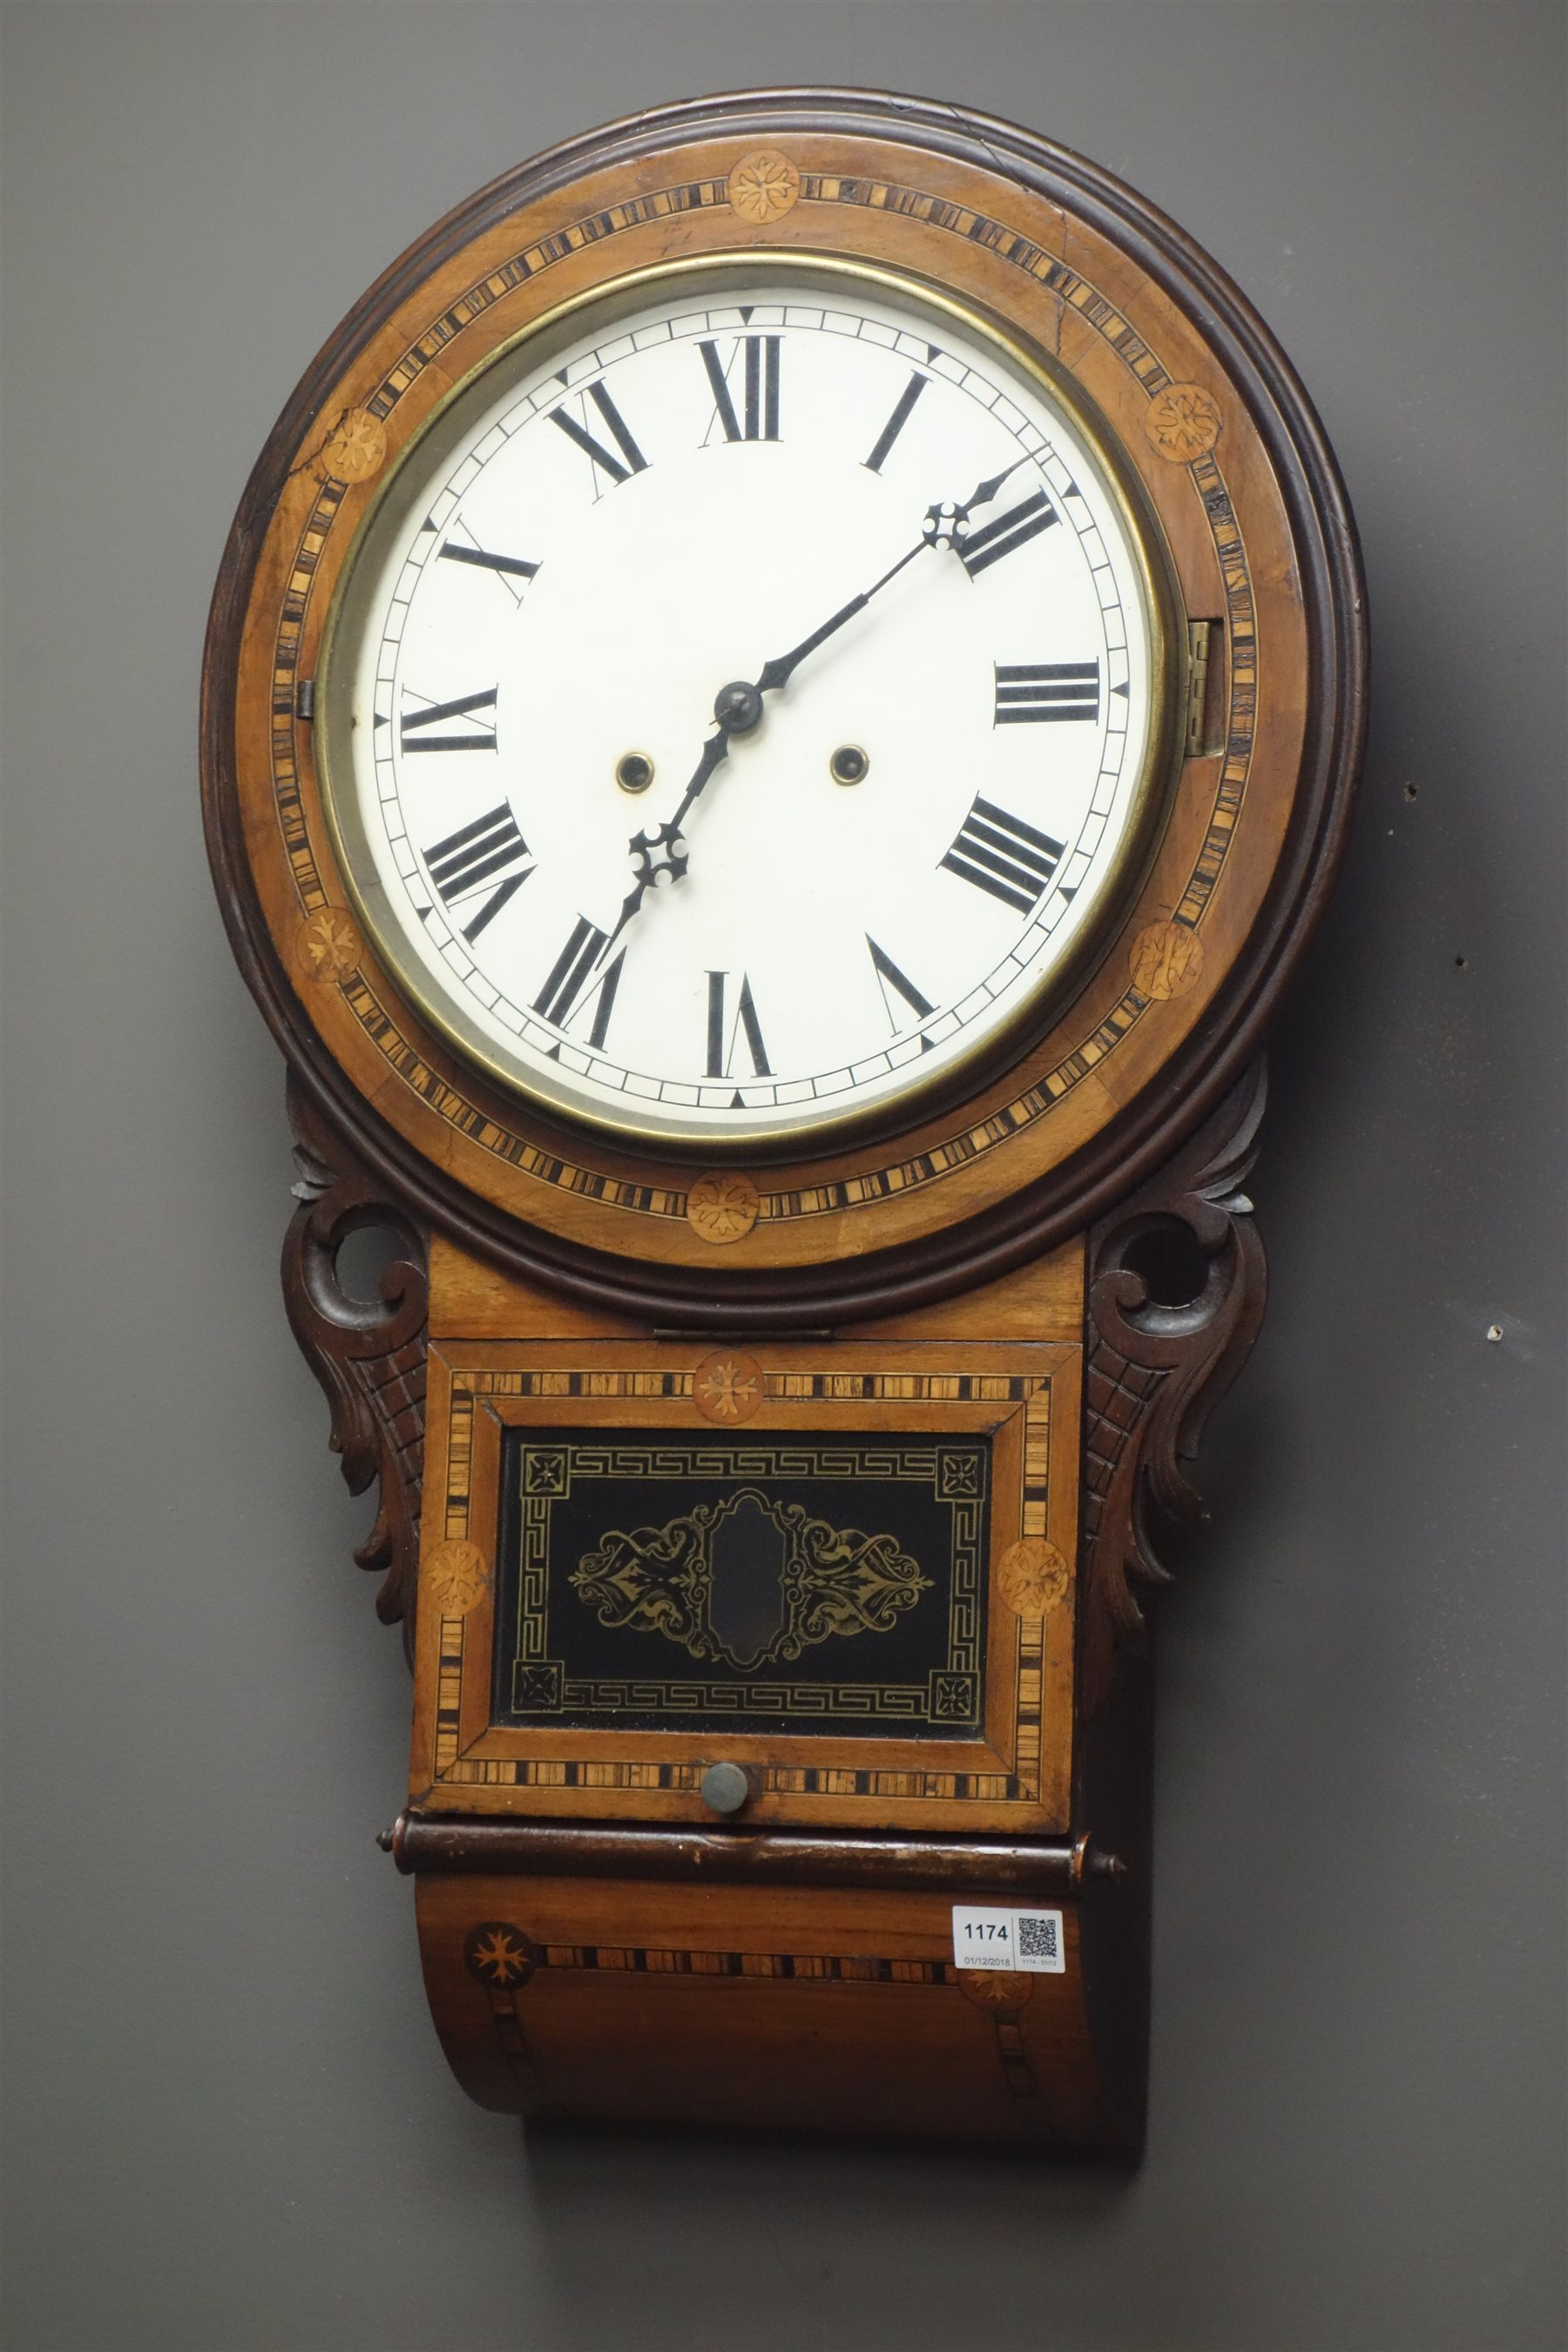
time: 7:08
